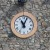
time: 11:04
